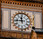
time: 11:46
